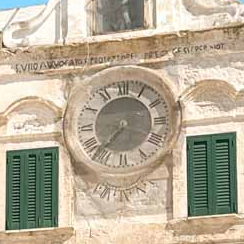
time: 7:37
